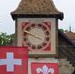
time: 3:48
